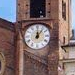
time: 12:06
